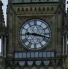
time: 9:17
